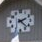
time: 2:22
